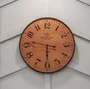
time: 5:46
